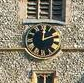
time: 2:00
